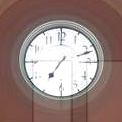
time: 7:11
